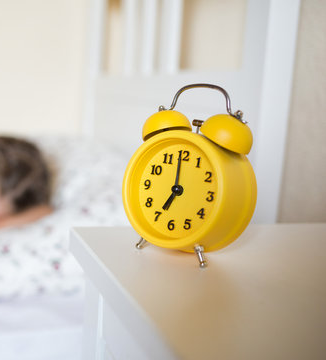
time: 6:59
